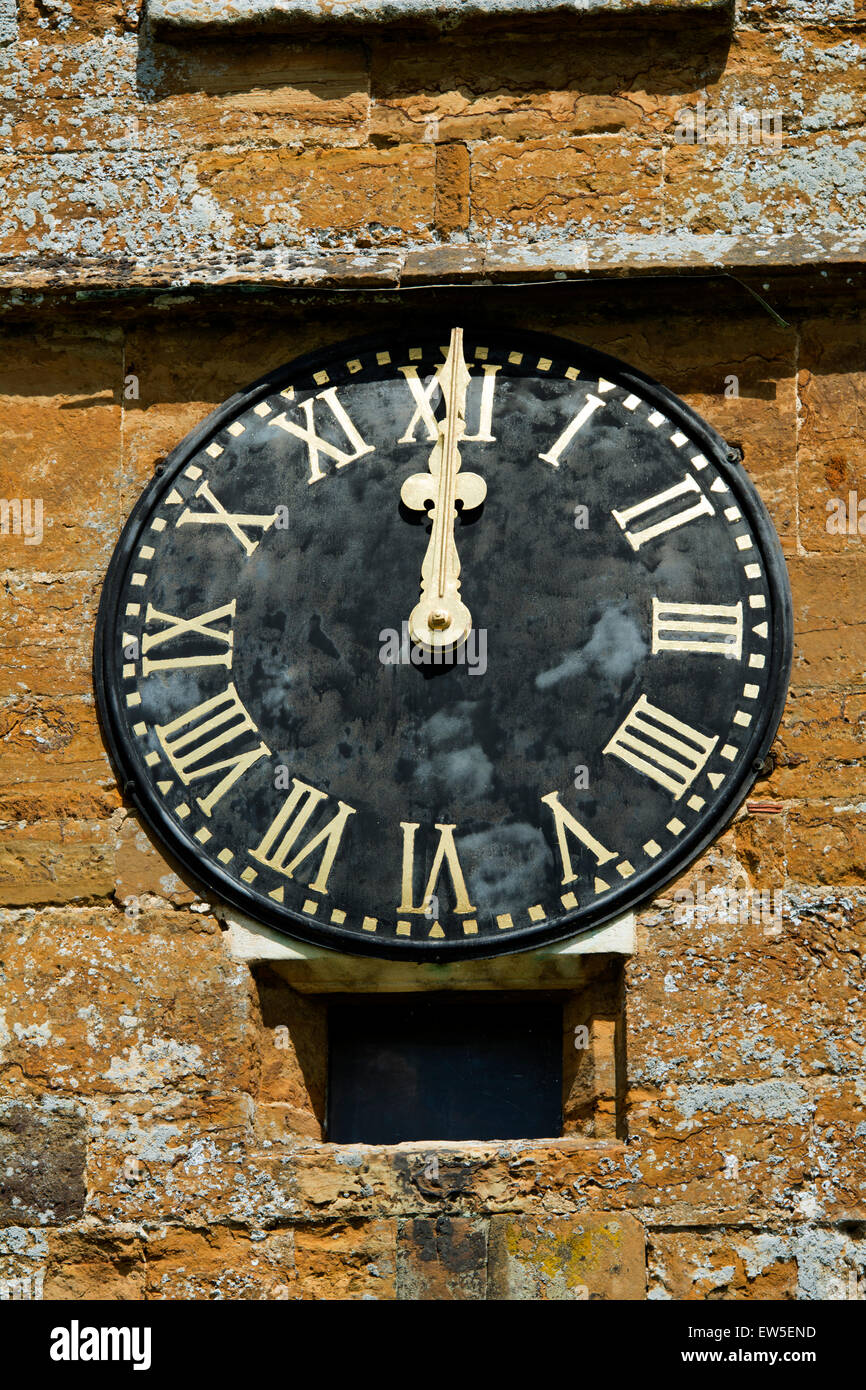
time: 11:59
